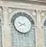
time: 9:40
